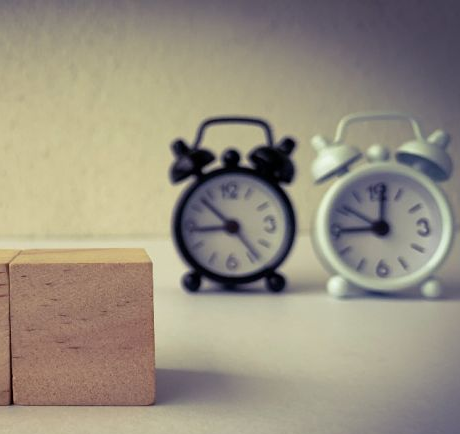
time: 8:52
